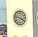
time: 3:47
